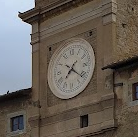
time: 7:21
